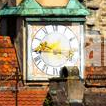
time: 9:44
